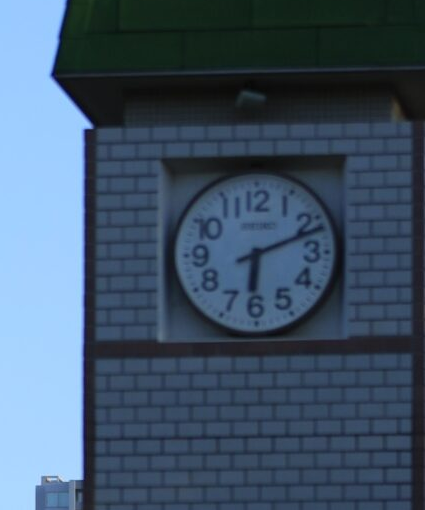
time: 6:11
